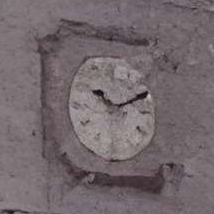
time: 10:10
